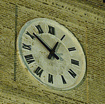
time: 12:51
